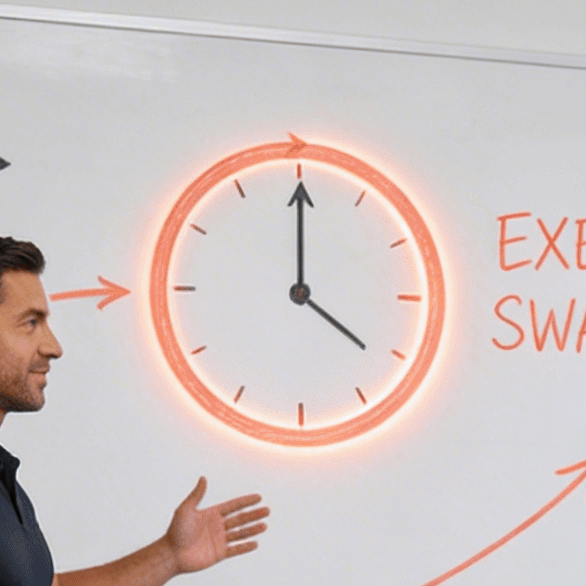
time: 4:00
